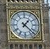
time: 1:22
